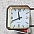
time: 11:41
